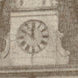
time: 11:49
